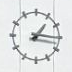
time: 1:16
